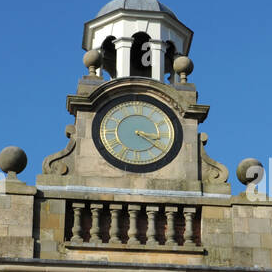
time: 3:21
